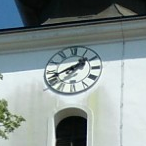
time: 1:41
